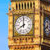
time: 7:59
